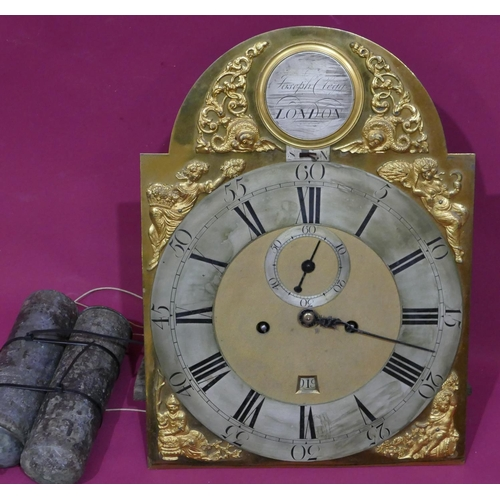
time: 12:17
